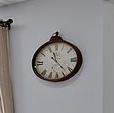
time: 11:22
